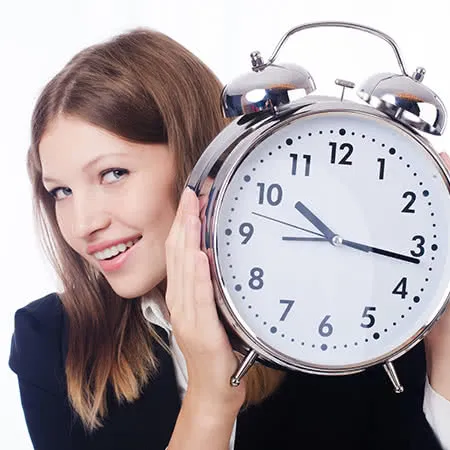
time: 10:16
